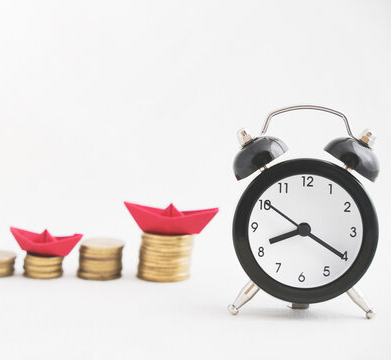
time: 8:20
